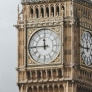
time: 11:45
